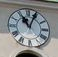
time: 11:04
